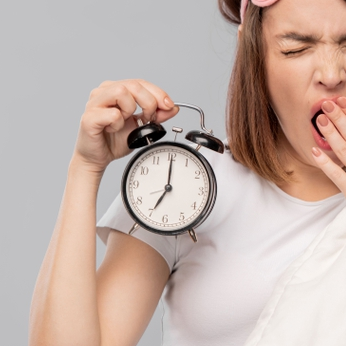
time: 7:00
